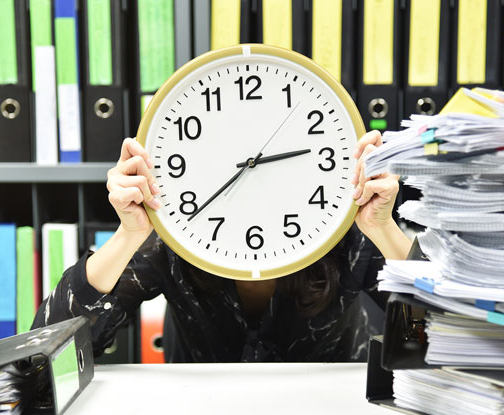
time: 2:38
